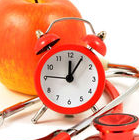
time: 12:05
